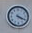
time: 4:19
